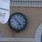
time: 4:52
